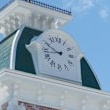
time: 9:42
